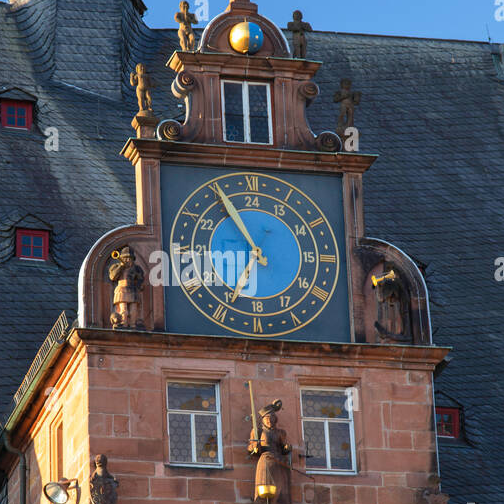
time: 6:54
